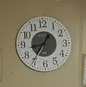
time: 8:35
